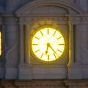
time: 6:23
